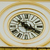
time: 10:19
